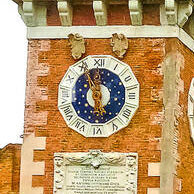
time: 5:55
